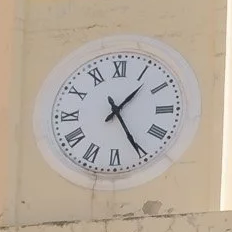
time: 1:25
